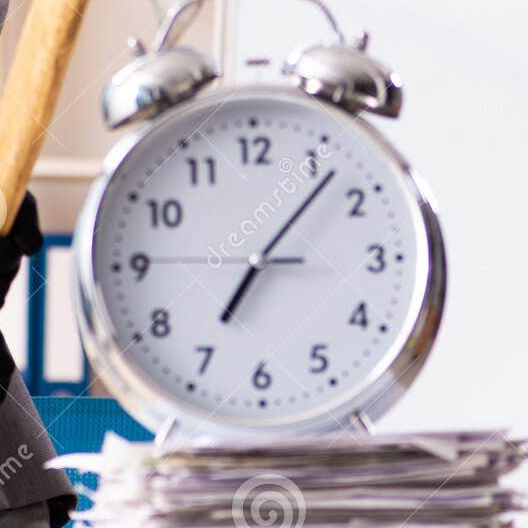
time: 7:07
